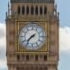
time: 7:37
